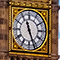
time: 11:26
